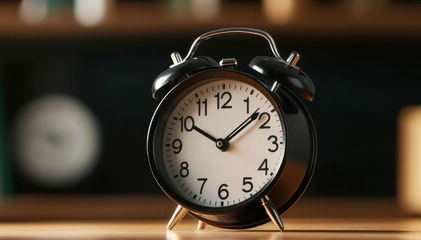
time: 10:08
